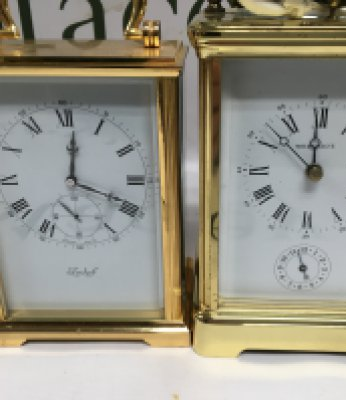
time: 12:18
